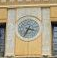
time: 3:34
